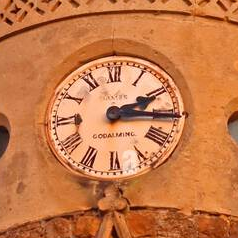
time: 2:15
